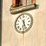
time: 6:27
